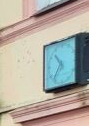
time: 10:36
